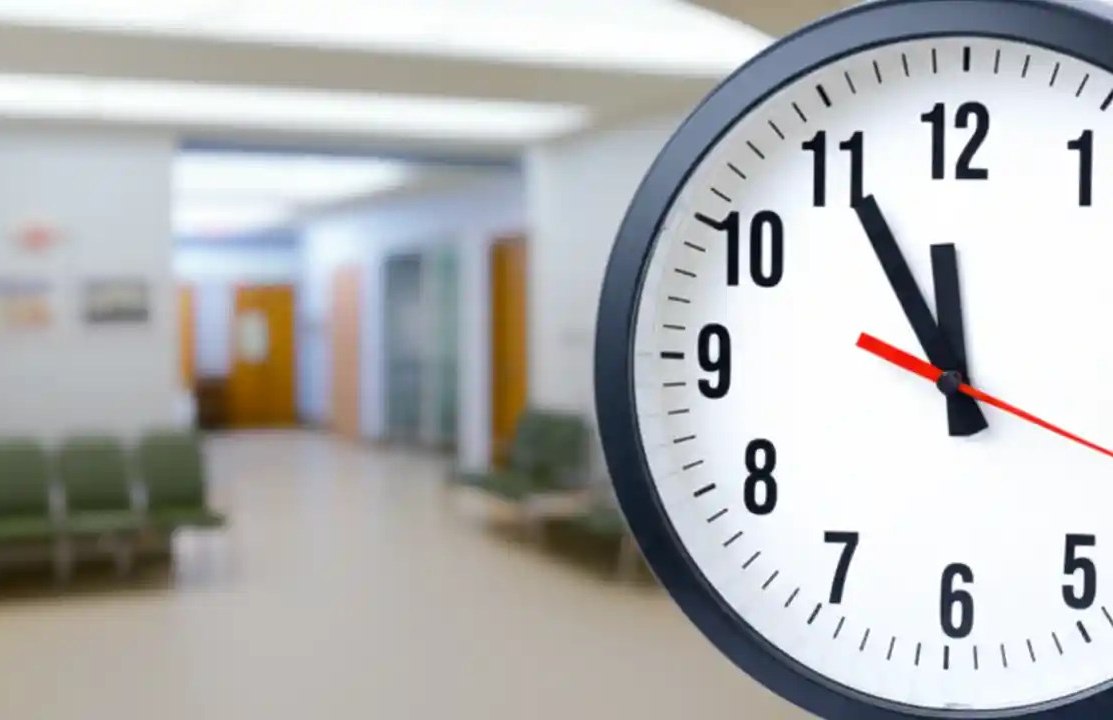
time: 11:55
